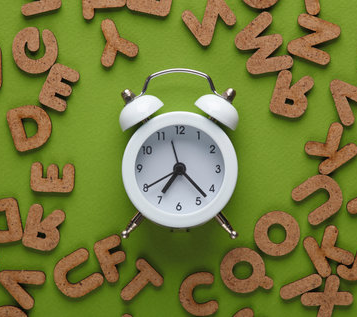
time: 7:22
